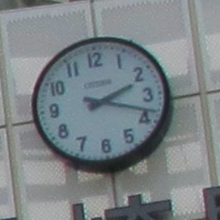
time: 2:18
